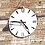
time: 4:46
